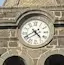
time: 4:40
